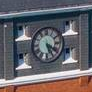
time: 5:20
